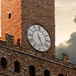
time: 5:26
